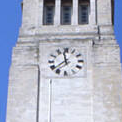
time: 11:38
